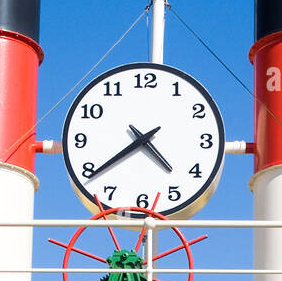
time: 4:38
